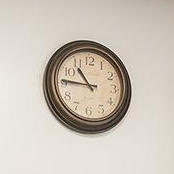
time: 10:45
